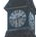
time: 2:29
